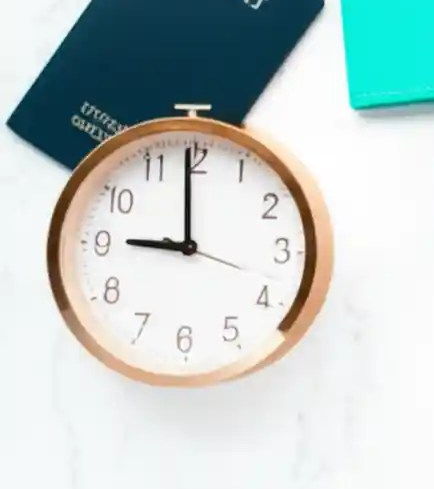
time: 8:59
